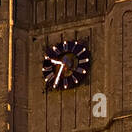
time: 9:34
